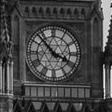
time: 3:52
